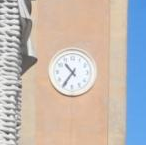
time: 10:35
